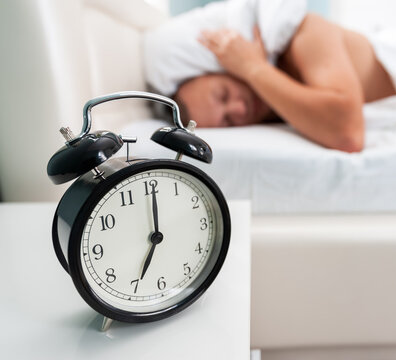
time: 7:00
